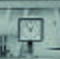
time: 12:53
